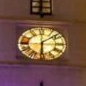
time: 6:08
